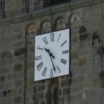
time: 10:27
